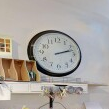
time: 2:12
